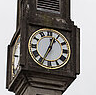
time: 12:34
